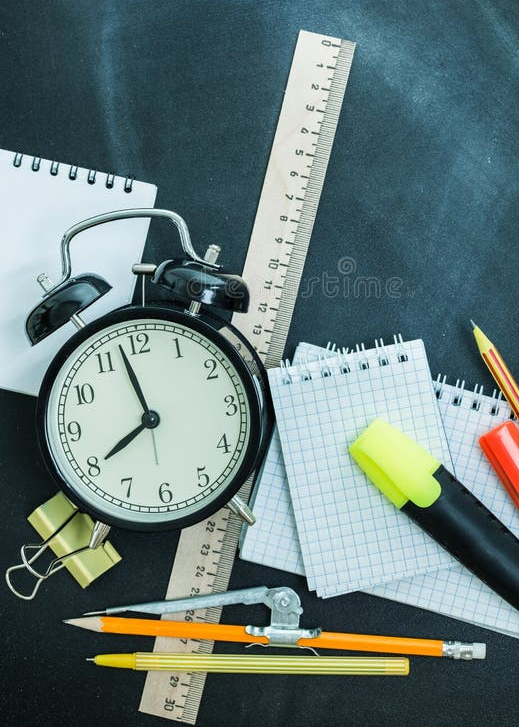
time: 7:57
